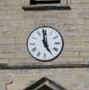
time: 4:59
